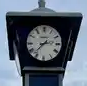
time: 2:37
